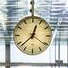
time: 12:37
